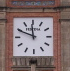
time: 11:49
